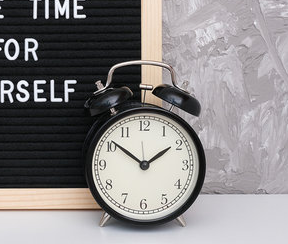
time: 1:51
